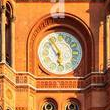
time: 5:54
